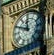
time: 11:49
